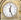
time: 12:26
